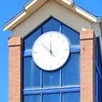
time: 11:52
